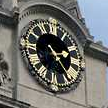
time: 2:23
